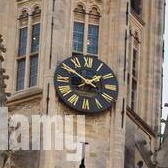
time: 1:50
